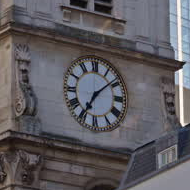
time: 7:08
